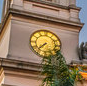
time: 7:37
